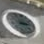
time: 2:56
